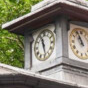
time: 11:28
